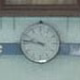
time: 9:47
